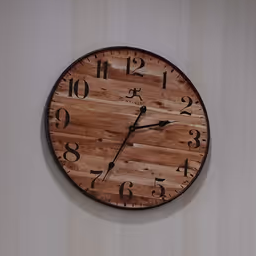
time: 2:34
